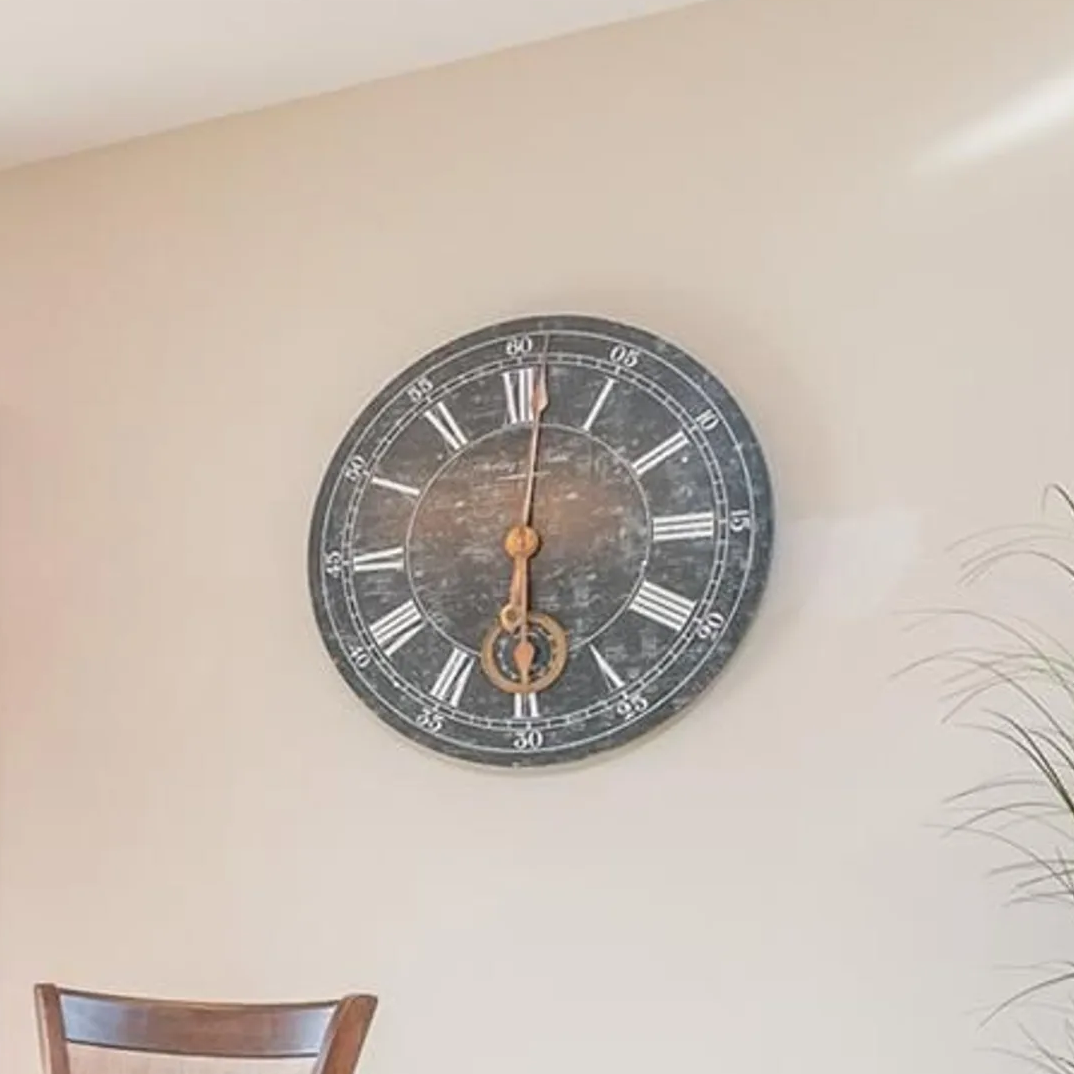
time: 6:01
